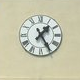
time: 1:24
